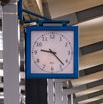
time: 9:22
